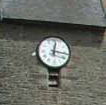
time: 12:16
